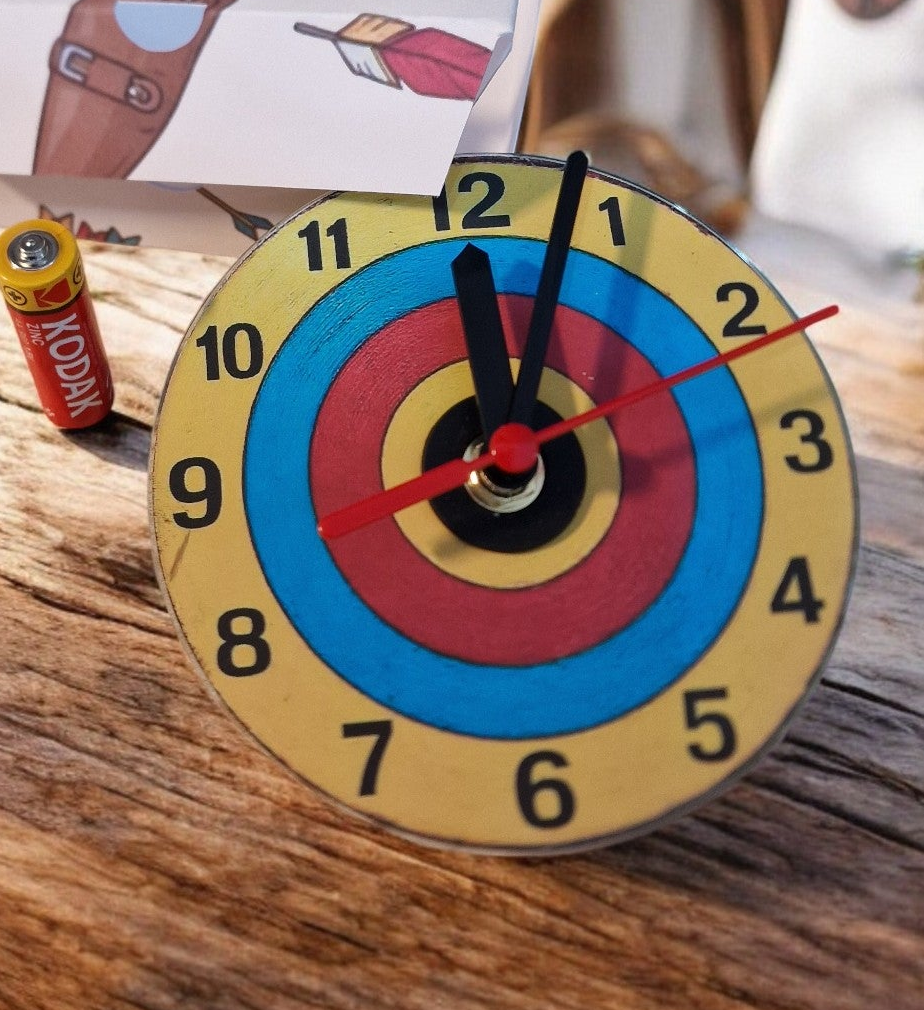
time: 12:03
